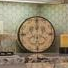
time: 5:59
